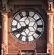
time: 7:41
